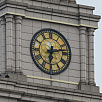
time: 6:12
